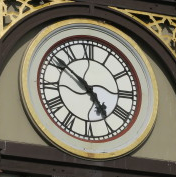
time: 4:51
